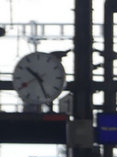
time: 10:26
